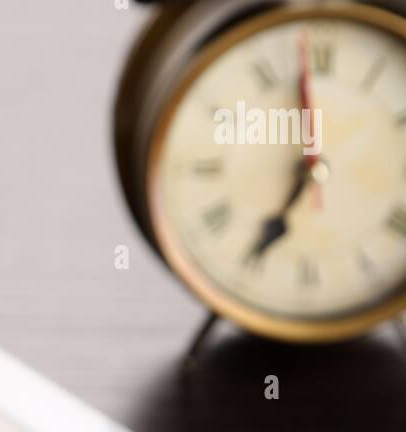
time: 6:58
